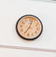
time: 7:02
